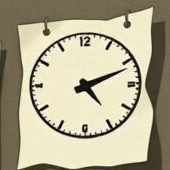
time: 5:11
